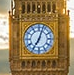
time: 7:03
